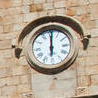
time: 6:00
